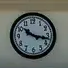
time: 10:17
